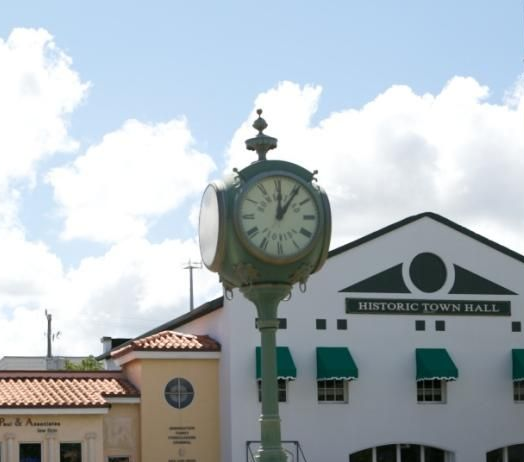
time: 12:06
